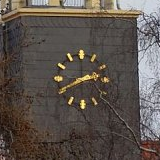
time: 2:40
